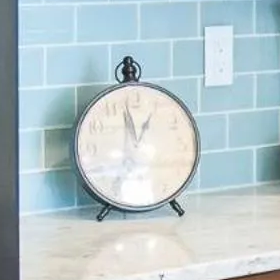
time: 12:58
